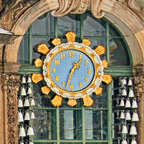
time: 1:33
